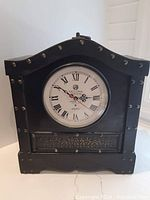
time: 2:51
